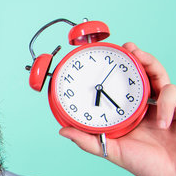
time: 6:24
